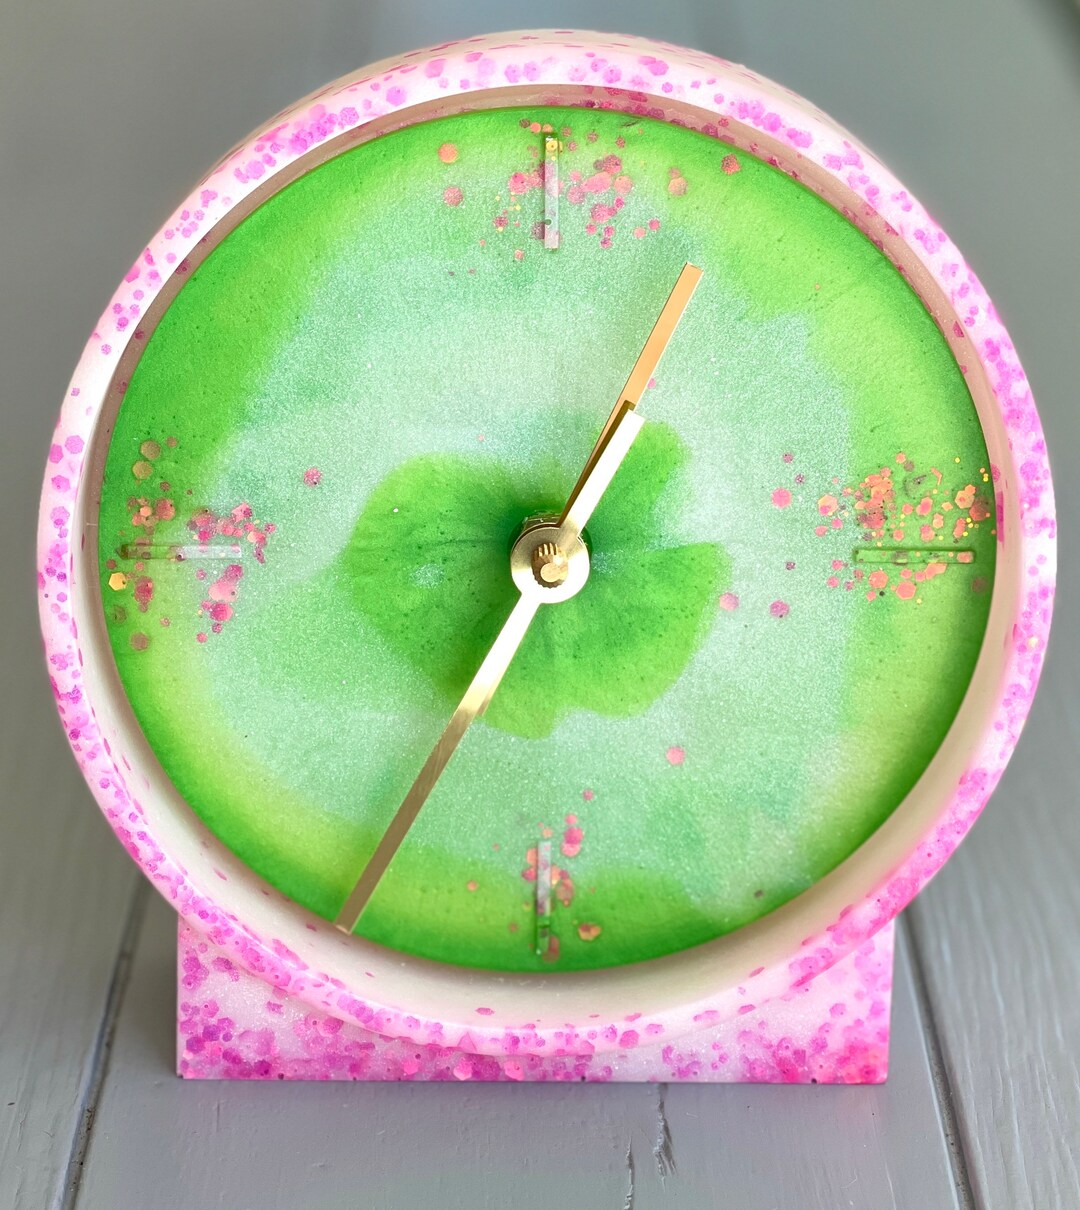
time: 7:05
